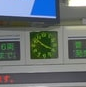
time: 3:52
